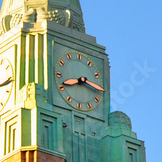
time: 8:15
